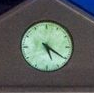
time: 5:20
